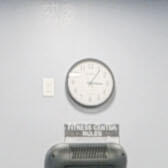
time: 3:06
